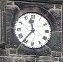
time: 11:36
